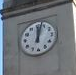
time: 12:02
